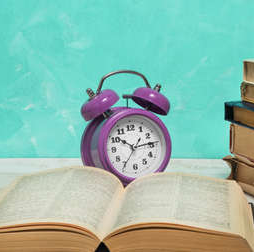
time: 10:14
